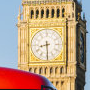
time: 8:29
